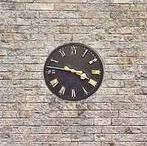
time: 3:46
